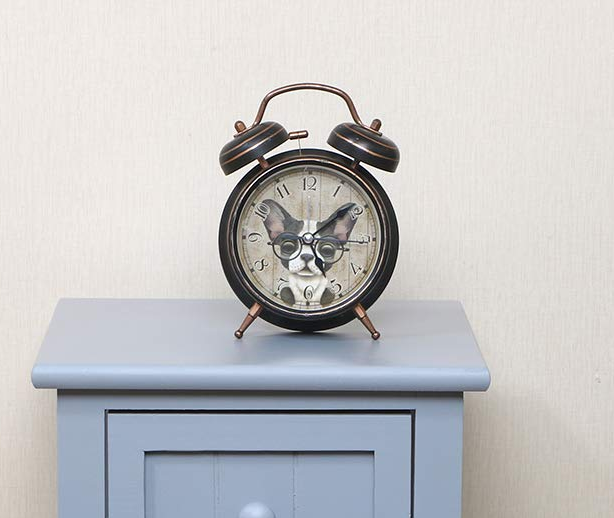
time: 5:08
